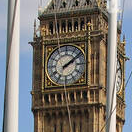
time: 2:08
